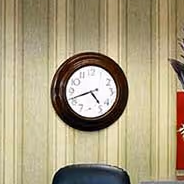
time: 4:41
